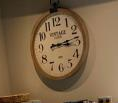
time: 3:13
